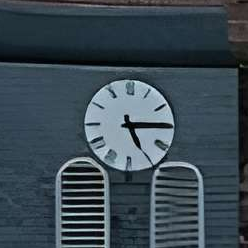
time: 5:14
